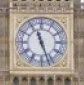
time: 11:26
